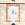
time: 7:17
